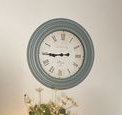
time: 8:44
